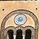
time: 8:36
